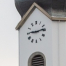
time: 9:13
